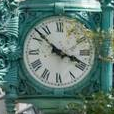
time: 3:52
